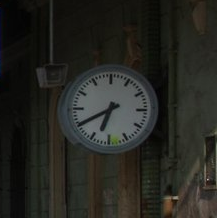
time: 6:40
